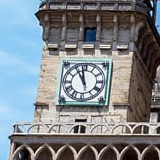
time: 10:58
